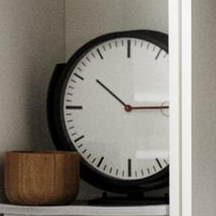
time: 10:14
